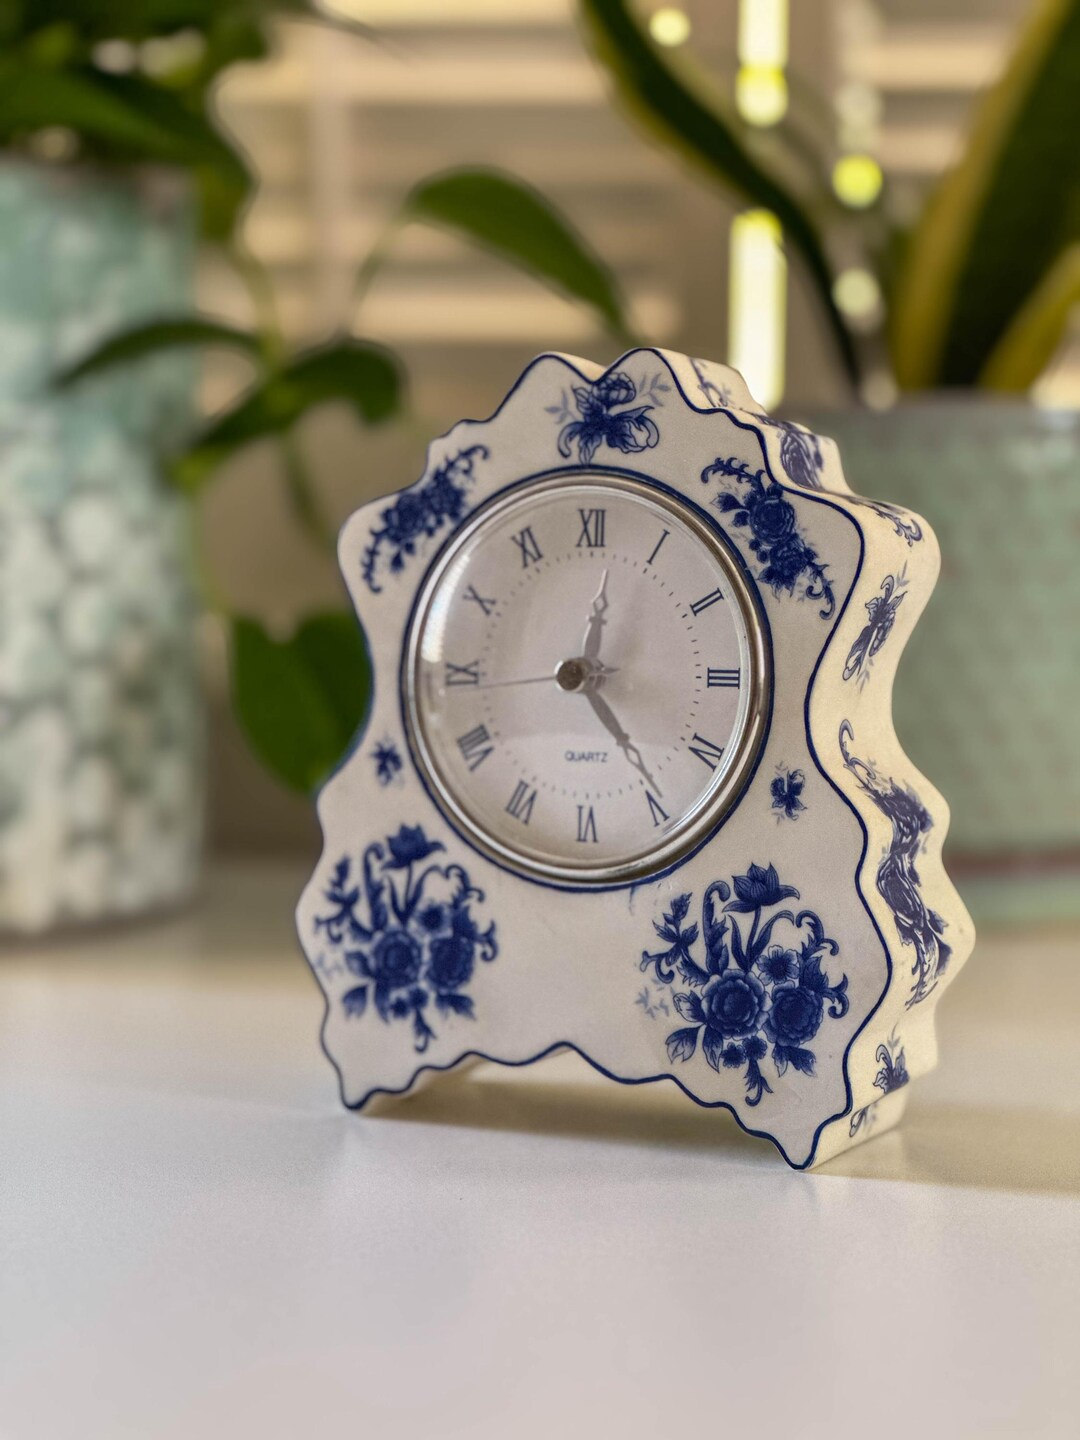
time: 12:24
